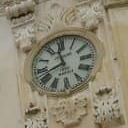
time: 11:42
